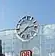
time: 2:38
